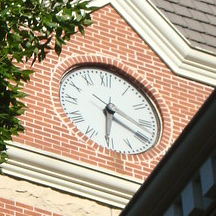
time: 6:19
